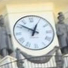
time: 12:51
